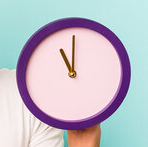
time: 10:59
